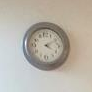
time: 4:10
